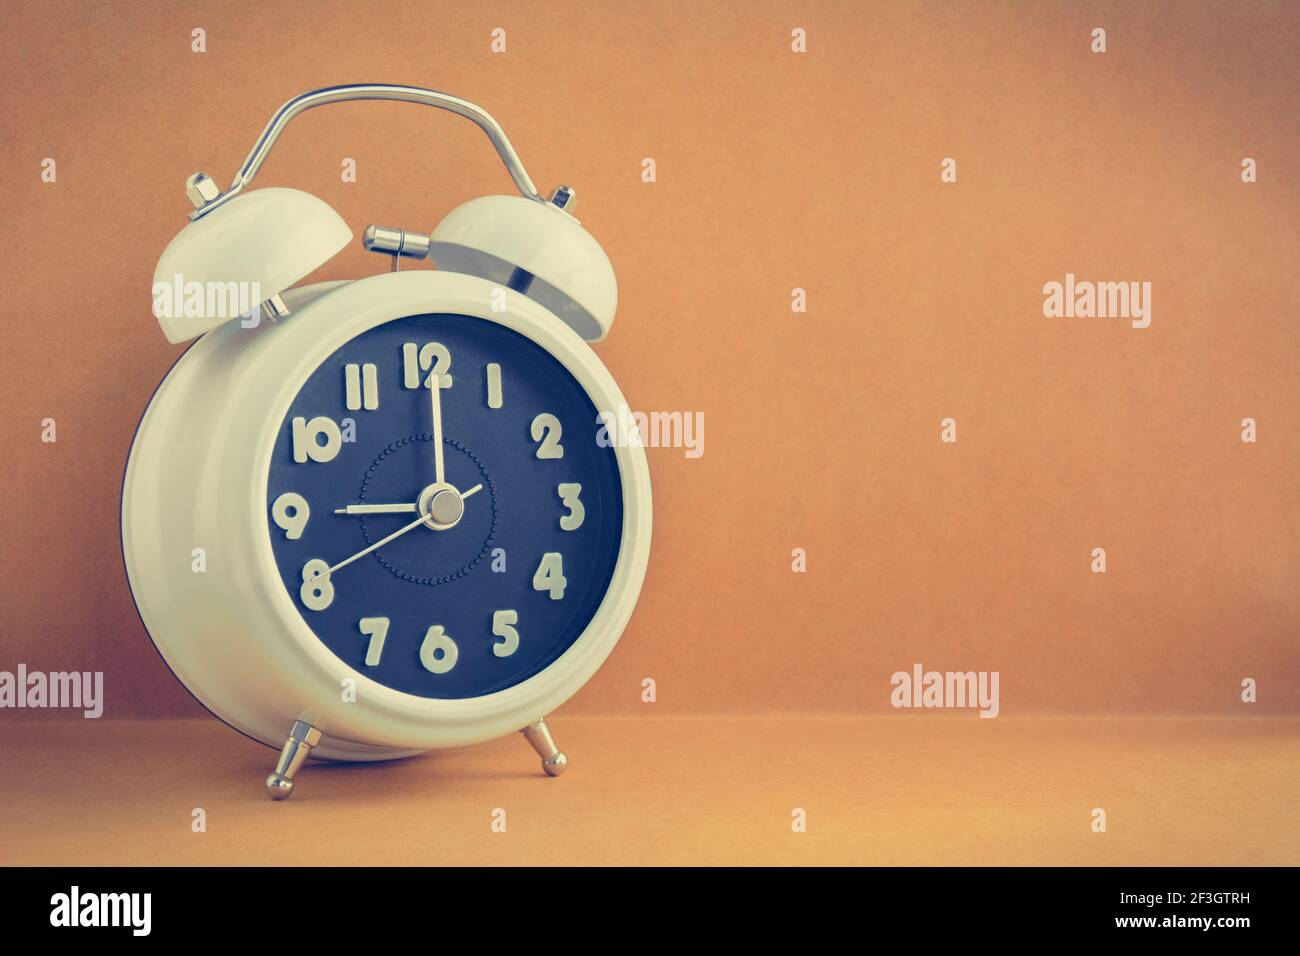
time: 9:00
